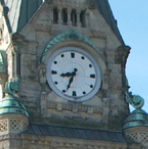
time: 8:34
